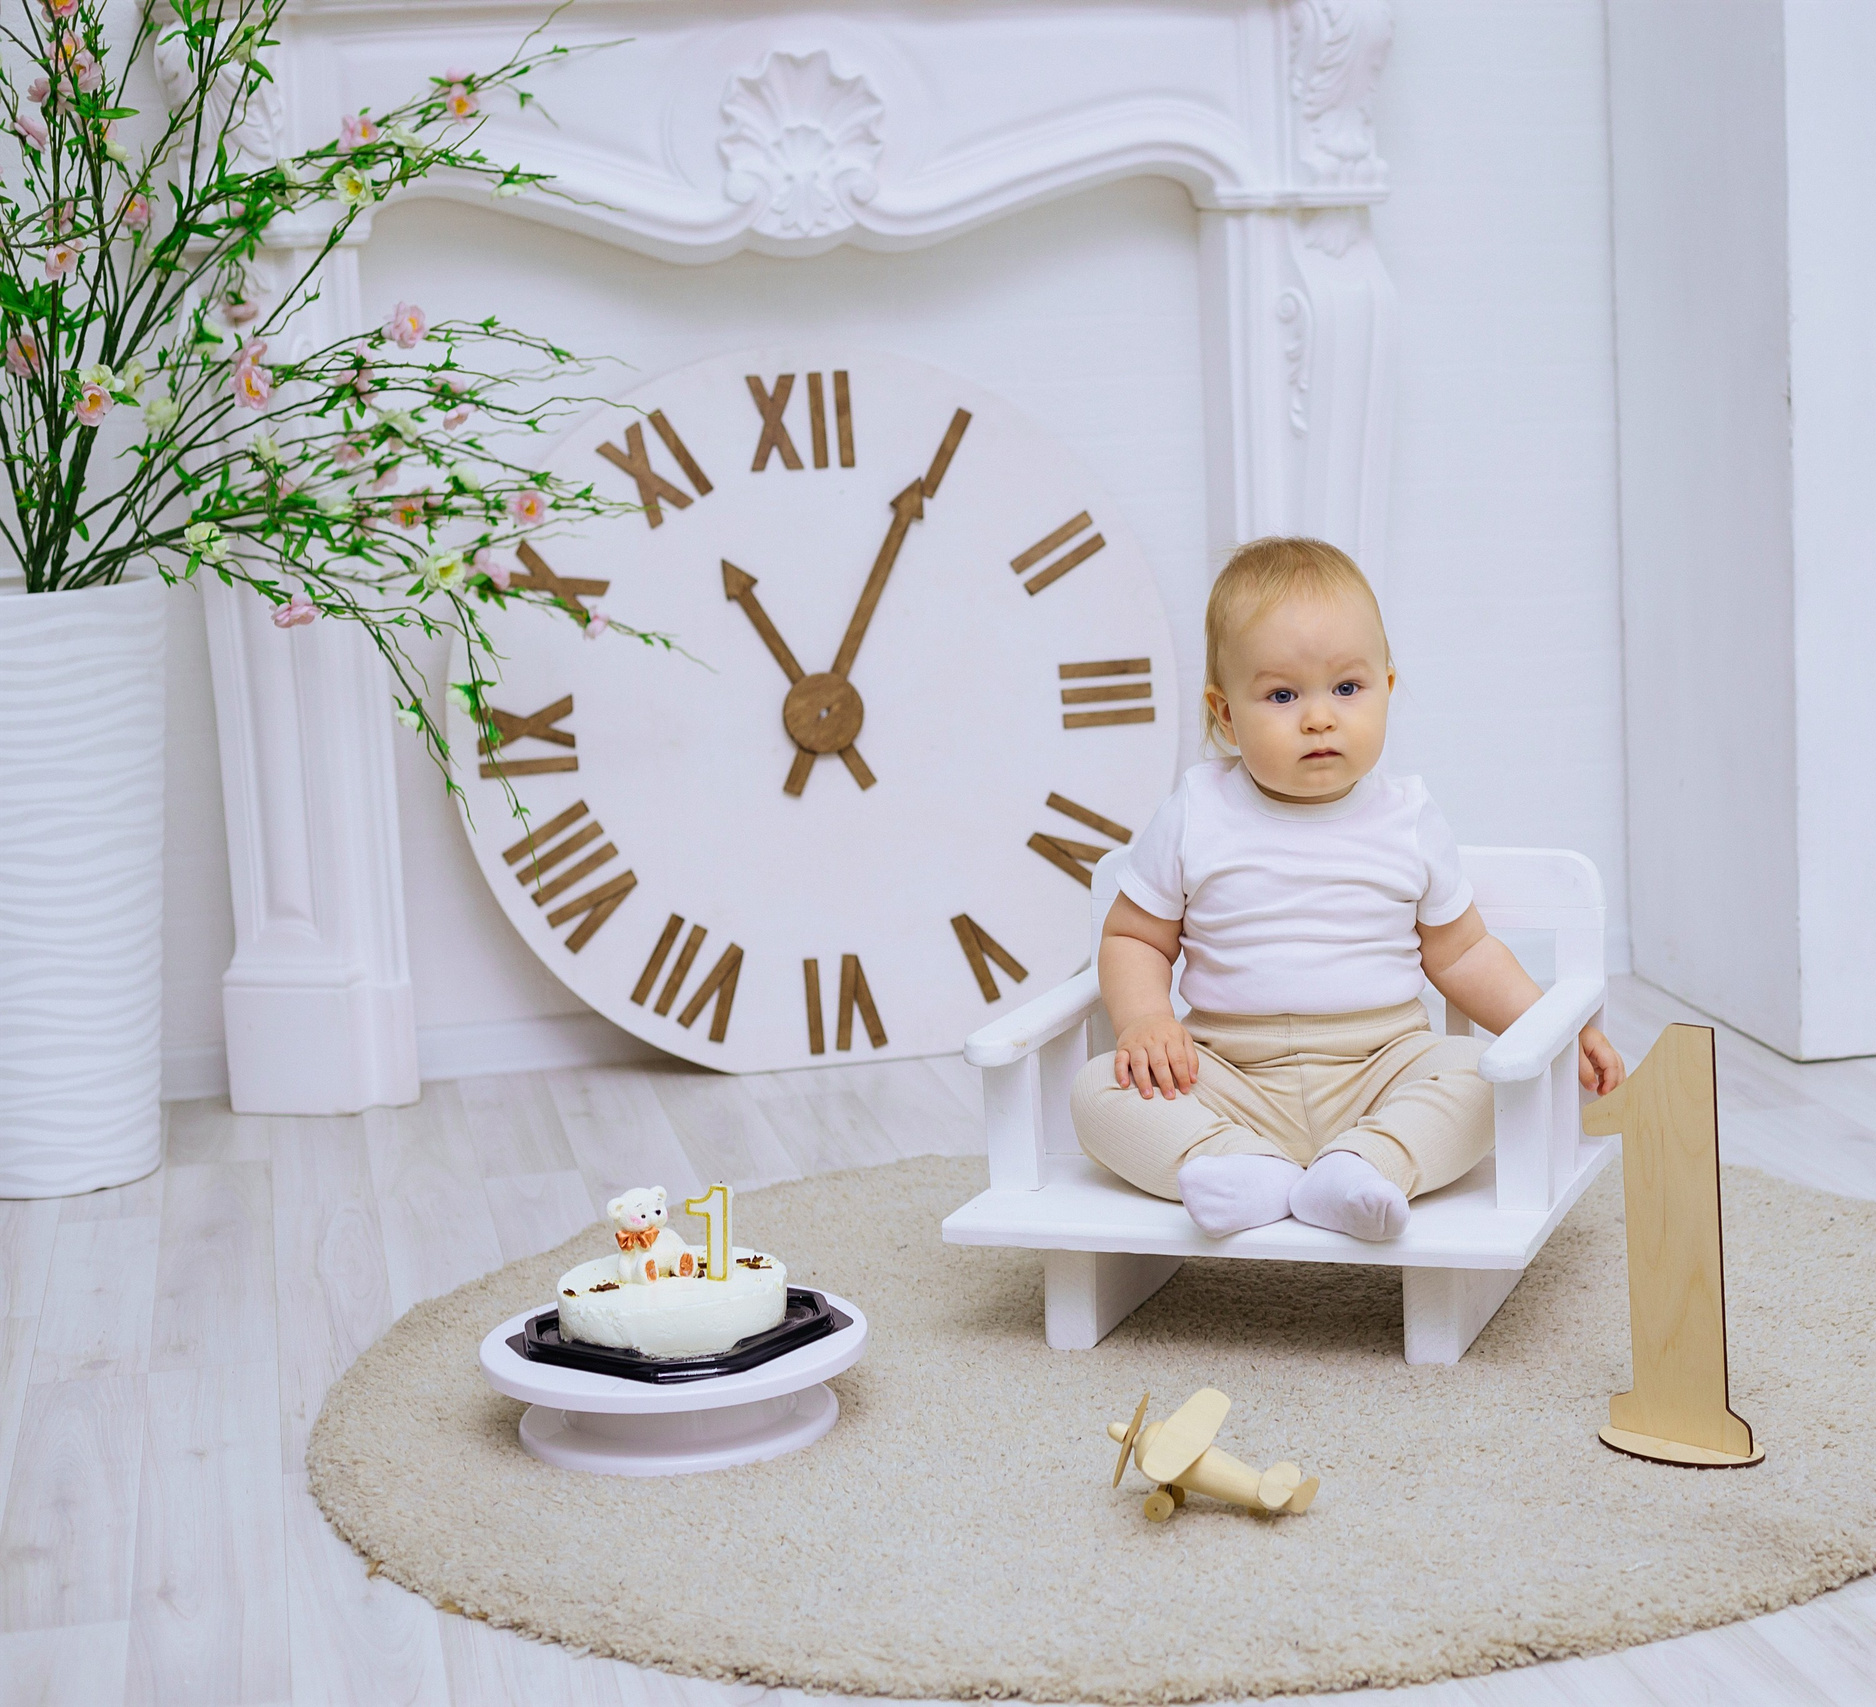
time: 11:04
